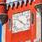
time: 4:22
